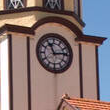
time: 11:13
